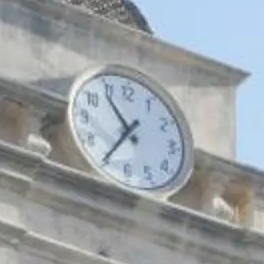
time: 10:35
